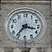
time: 3:36
